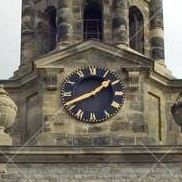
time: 1:40
